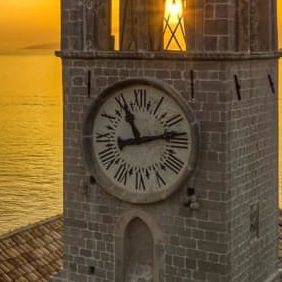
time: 11:12
